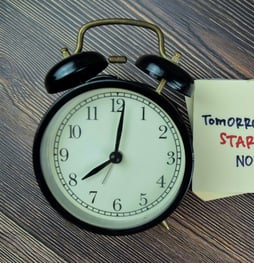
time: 8:01
